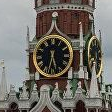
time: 5:32
